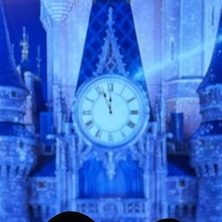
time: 11:56
